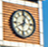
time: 8:02
